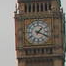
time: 1:18
